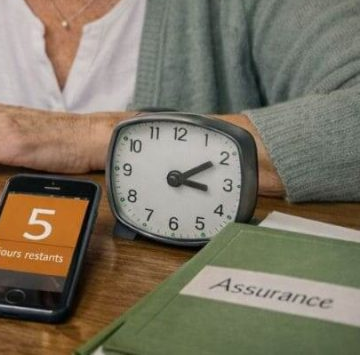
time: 3:09
